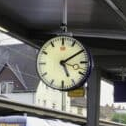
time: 5:09
